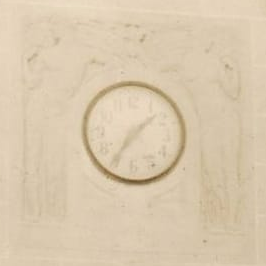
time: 1:35
